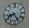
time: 8:25
